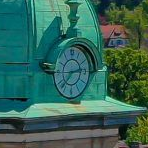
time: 2:36
